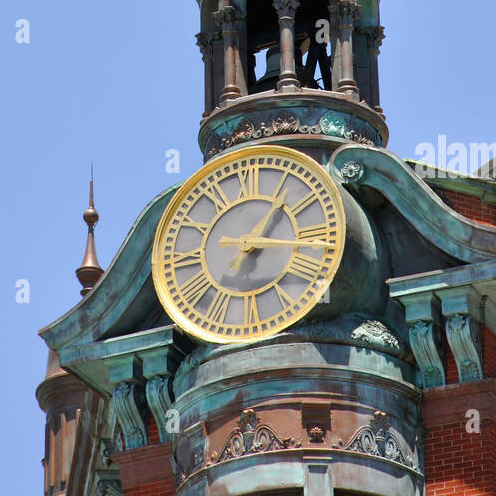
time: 1:16
